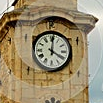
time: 4:01
